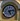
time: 5:12
